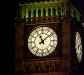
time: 11:08
